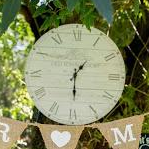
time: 1:29
